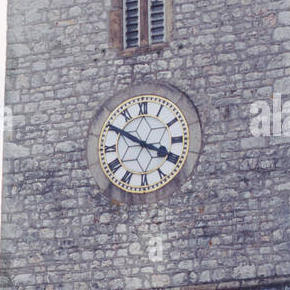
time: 3:50
